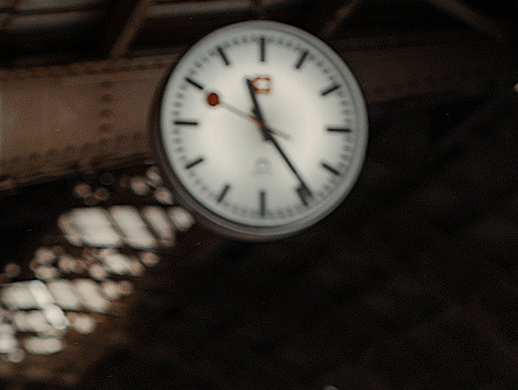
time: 11:23
